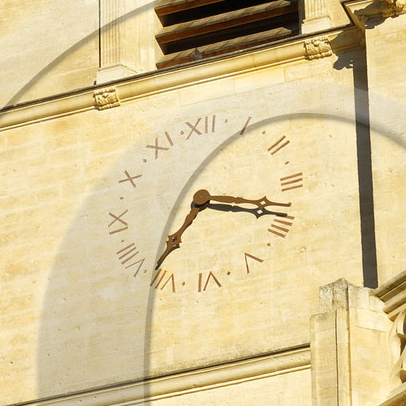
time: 7:18
